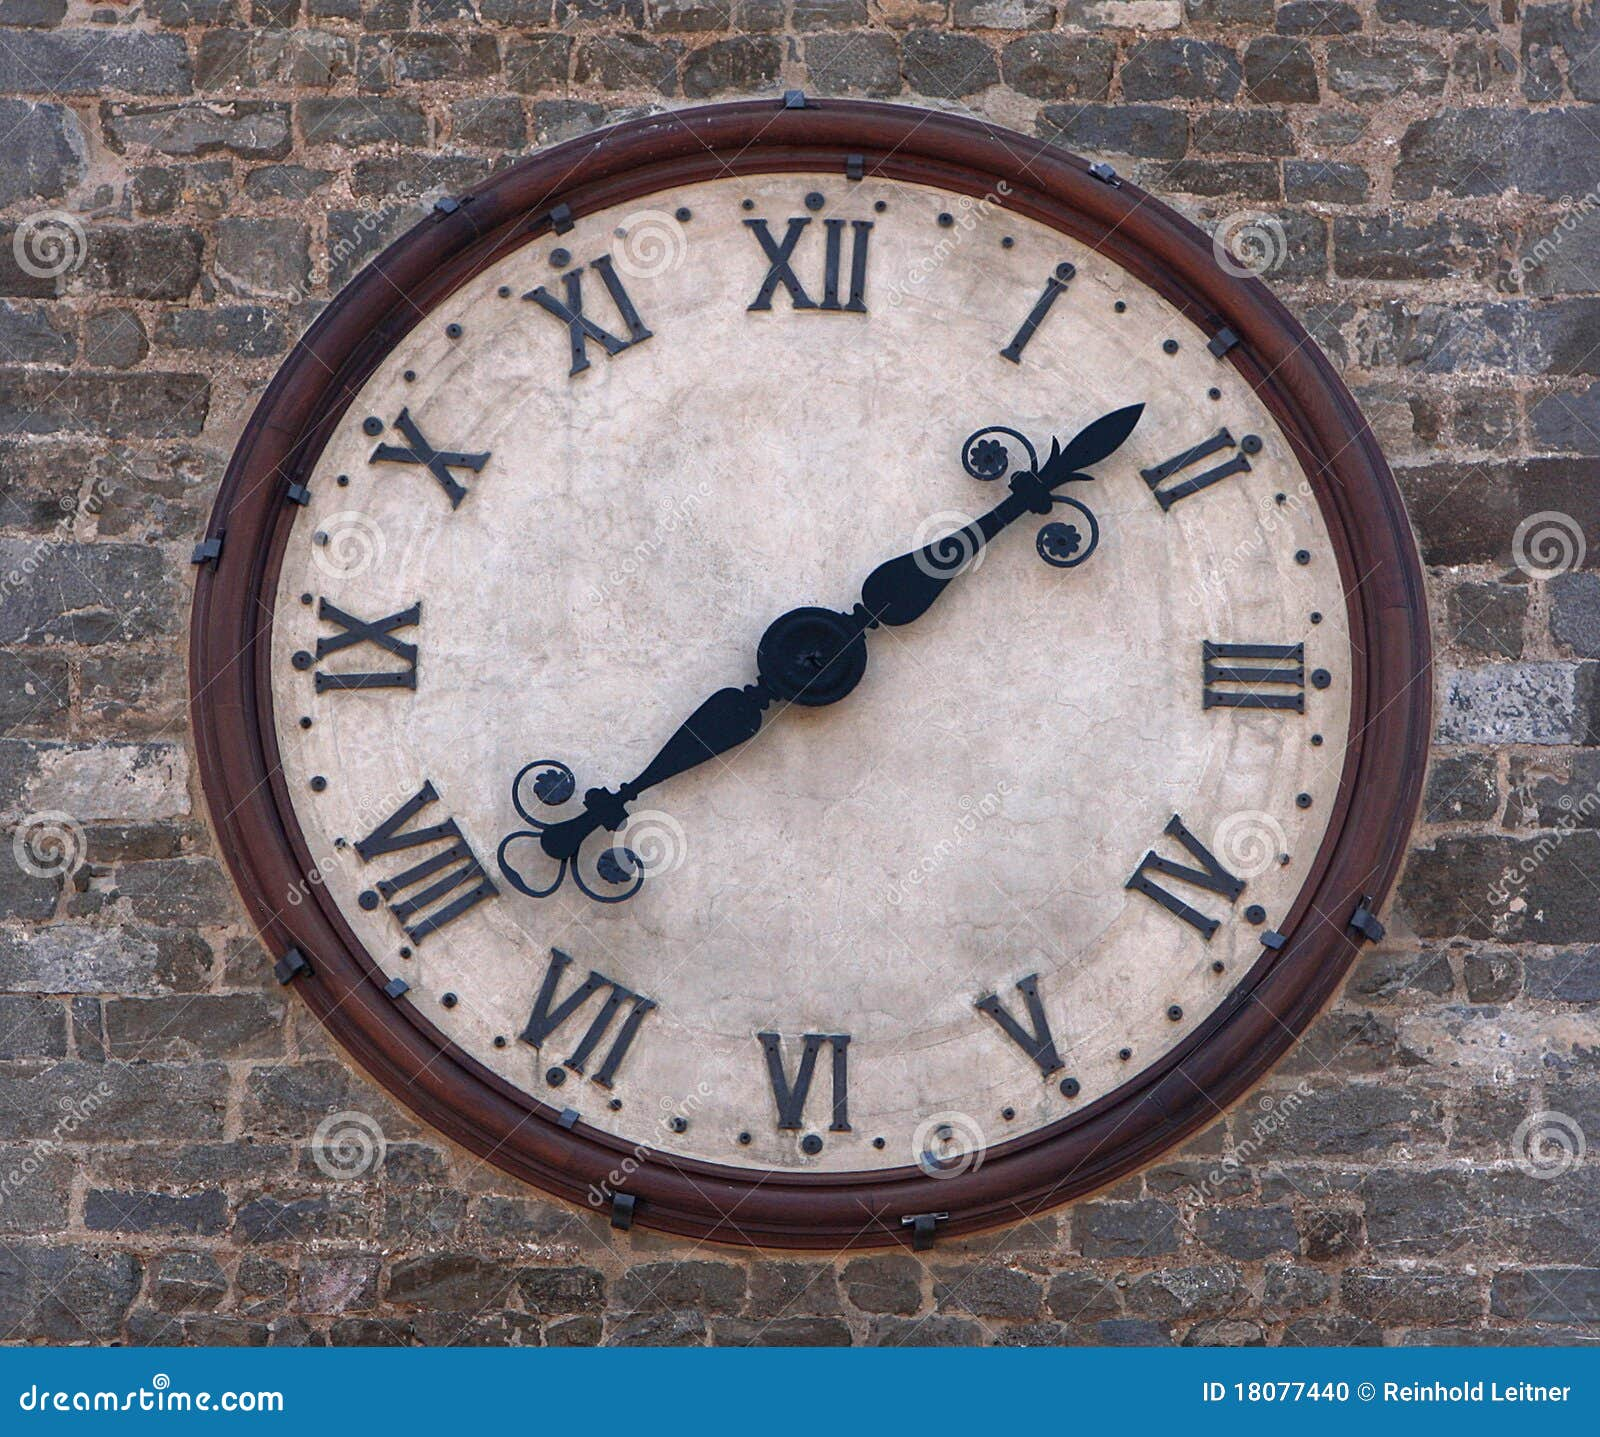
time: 1:38
